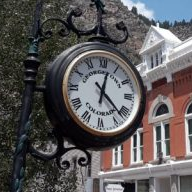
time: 12:22
